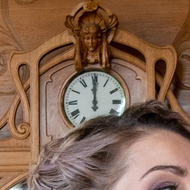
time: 11:59
